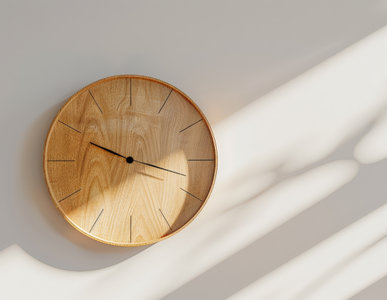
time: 9:49
